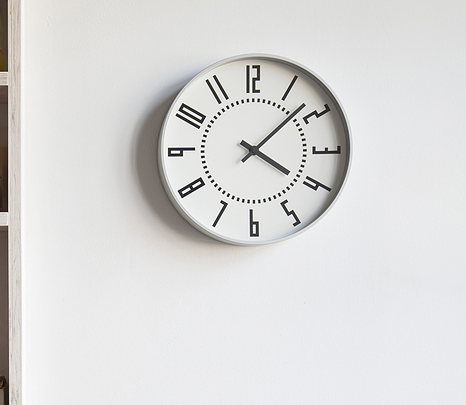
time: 4:07
